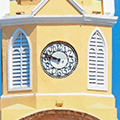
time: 9:48
